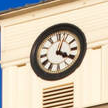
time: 4:03
